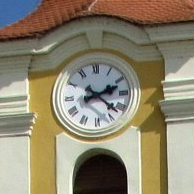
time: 2:21
